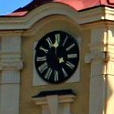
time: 3:58
